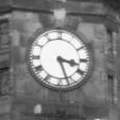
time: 3:26
